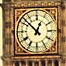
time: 12:52
